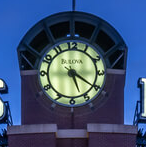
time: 5:20
